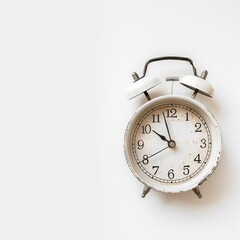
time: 9:57
